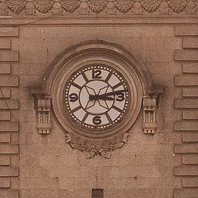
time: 3:12
